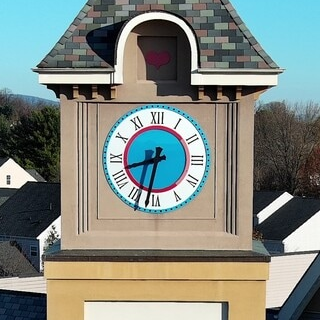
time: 8:32
